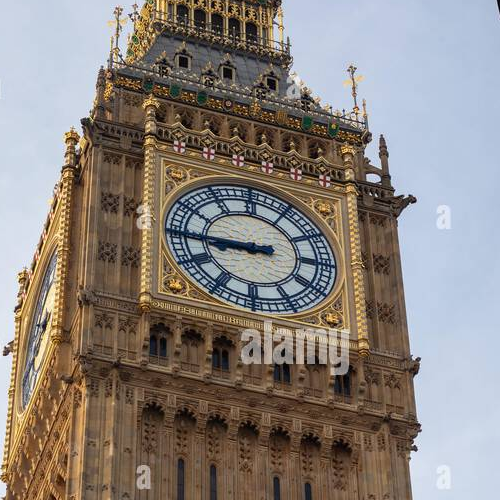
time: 8:44
